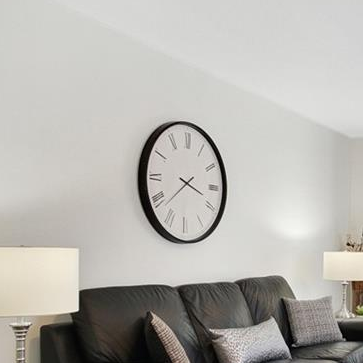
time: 3:38
